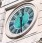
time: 12:28
